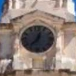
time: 12:36
